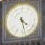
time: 4:27
